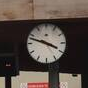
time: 3:48
